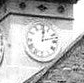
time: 12:12
